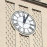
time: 12:04
